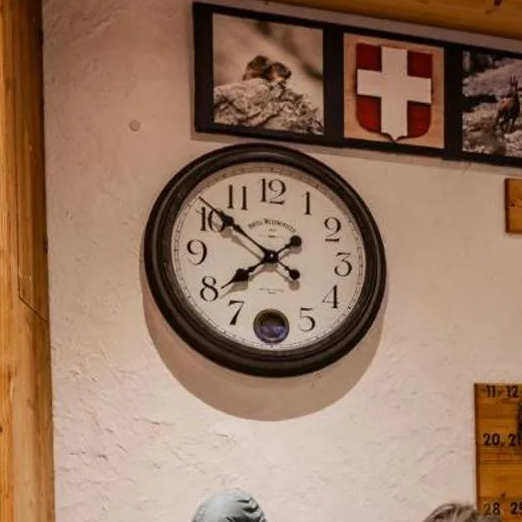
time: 7:51
